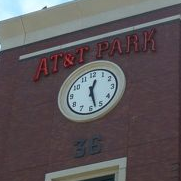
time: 12:27
